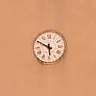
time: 5:49
